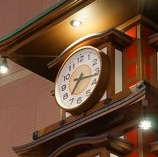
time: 7:17
